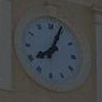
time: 8:04
